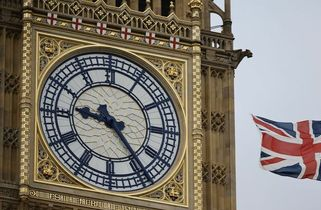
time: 9:23
